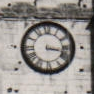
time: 3:17
